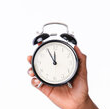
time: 11:55
